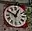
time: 12:49
